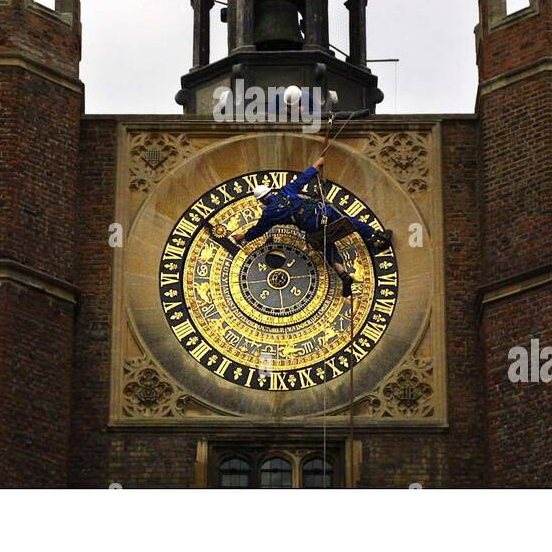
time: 11:50
